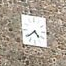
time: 4:38
